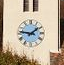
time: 1:46
